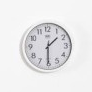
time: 1:30
